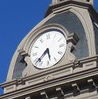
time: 5:38
